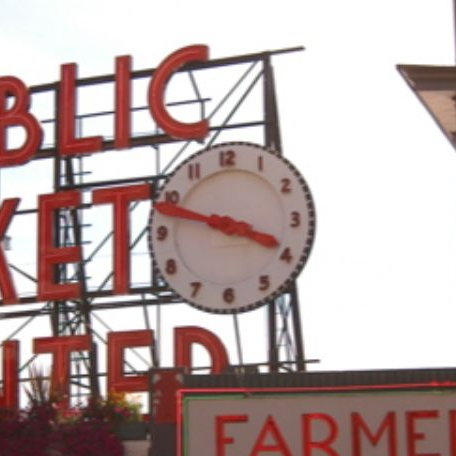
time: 3:48
